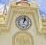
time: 1:02
